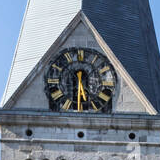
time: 5:31
